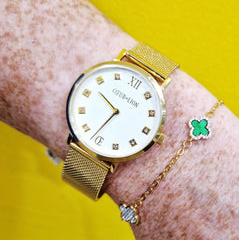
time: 10:37
